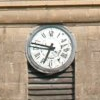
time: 6:47
